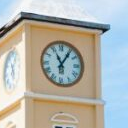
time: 11:05
